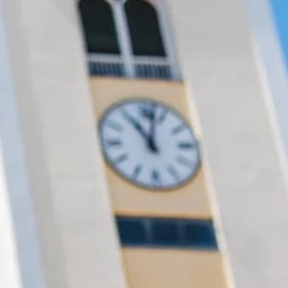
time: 11:02
